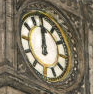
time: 11:59
